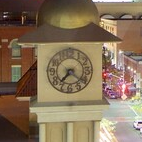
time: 7:21
